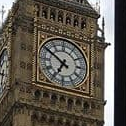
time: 6:50
